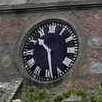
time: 10:28
